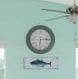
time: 6:14
